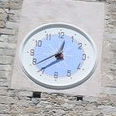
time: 12:39
